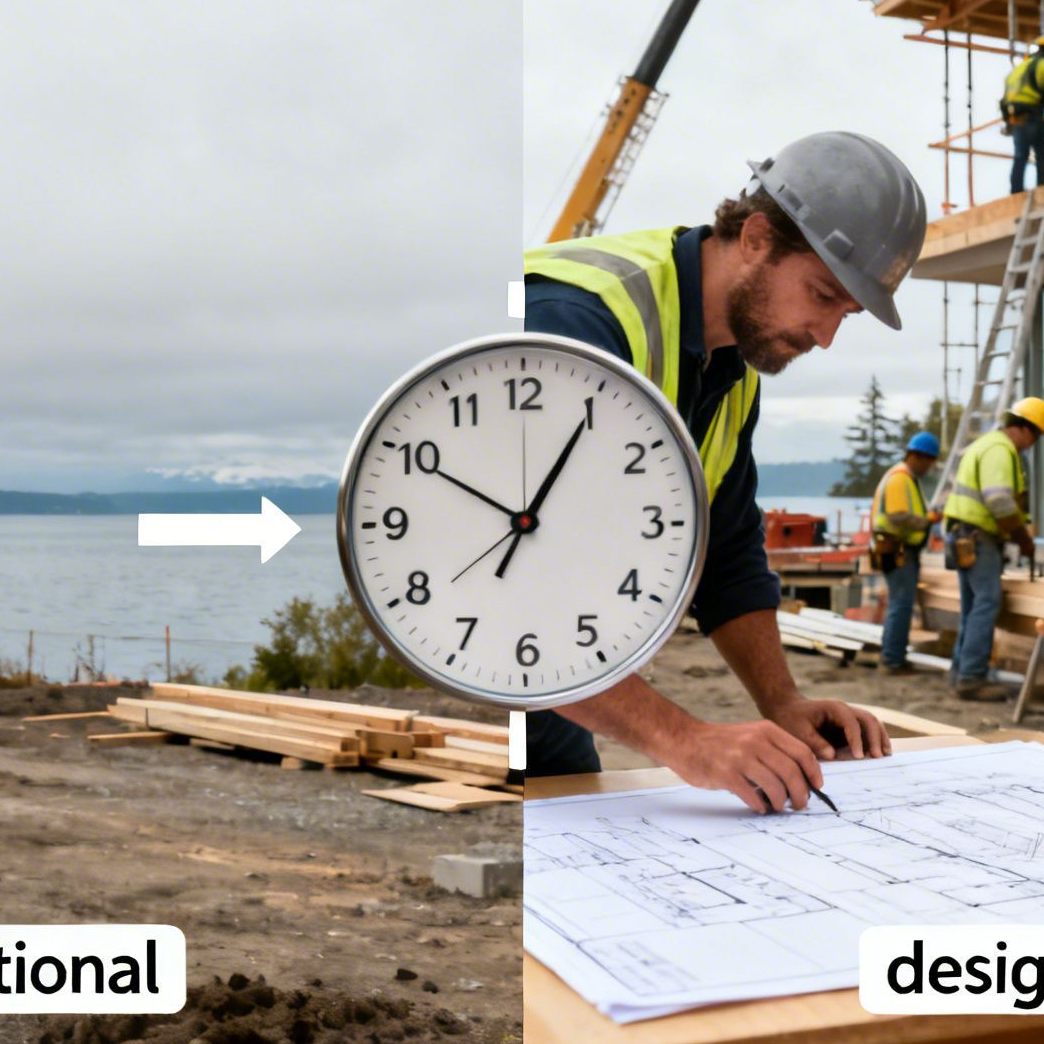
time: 10:05
